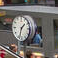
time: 1:32
